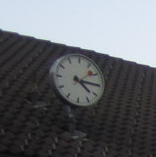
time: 4:15
